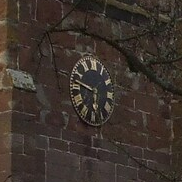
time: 5:47
